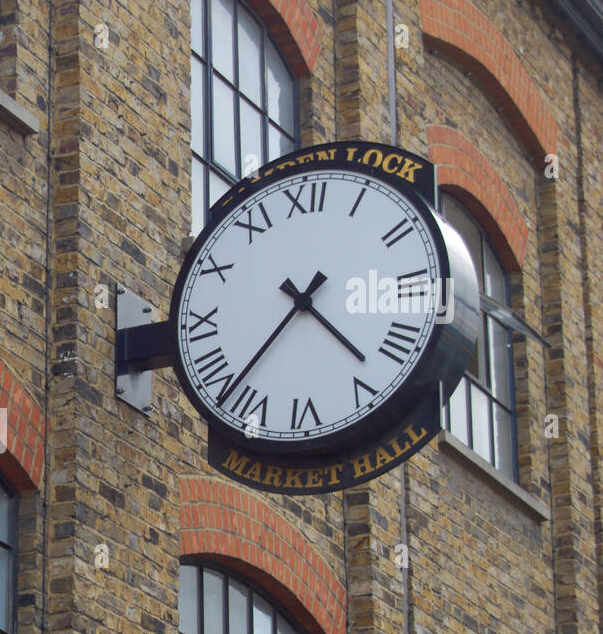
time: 4:37
